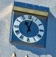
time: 11:02
